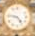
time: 4:46
